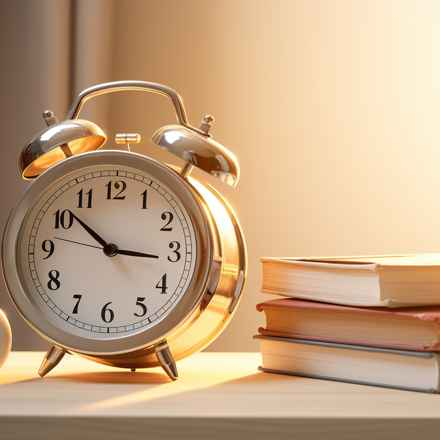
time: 10:15
